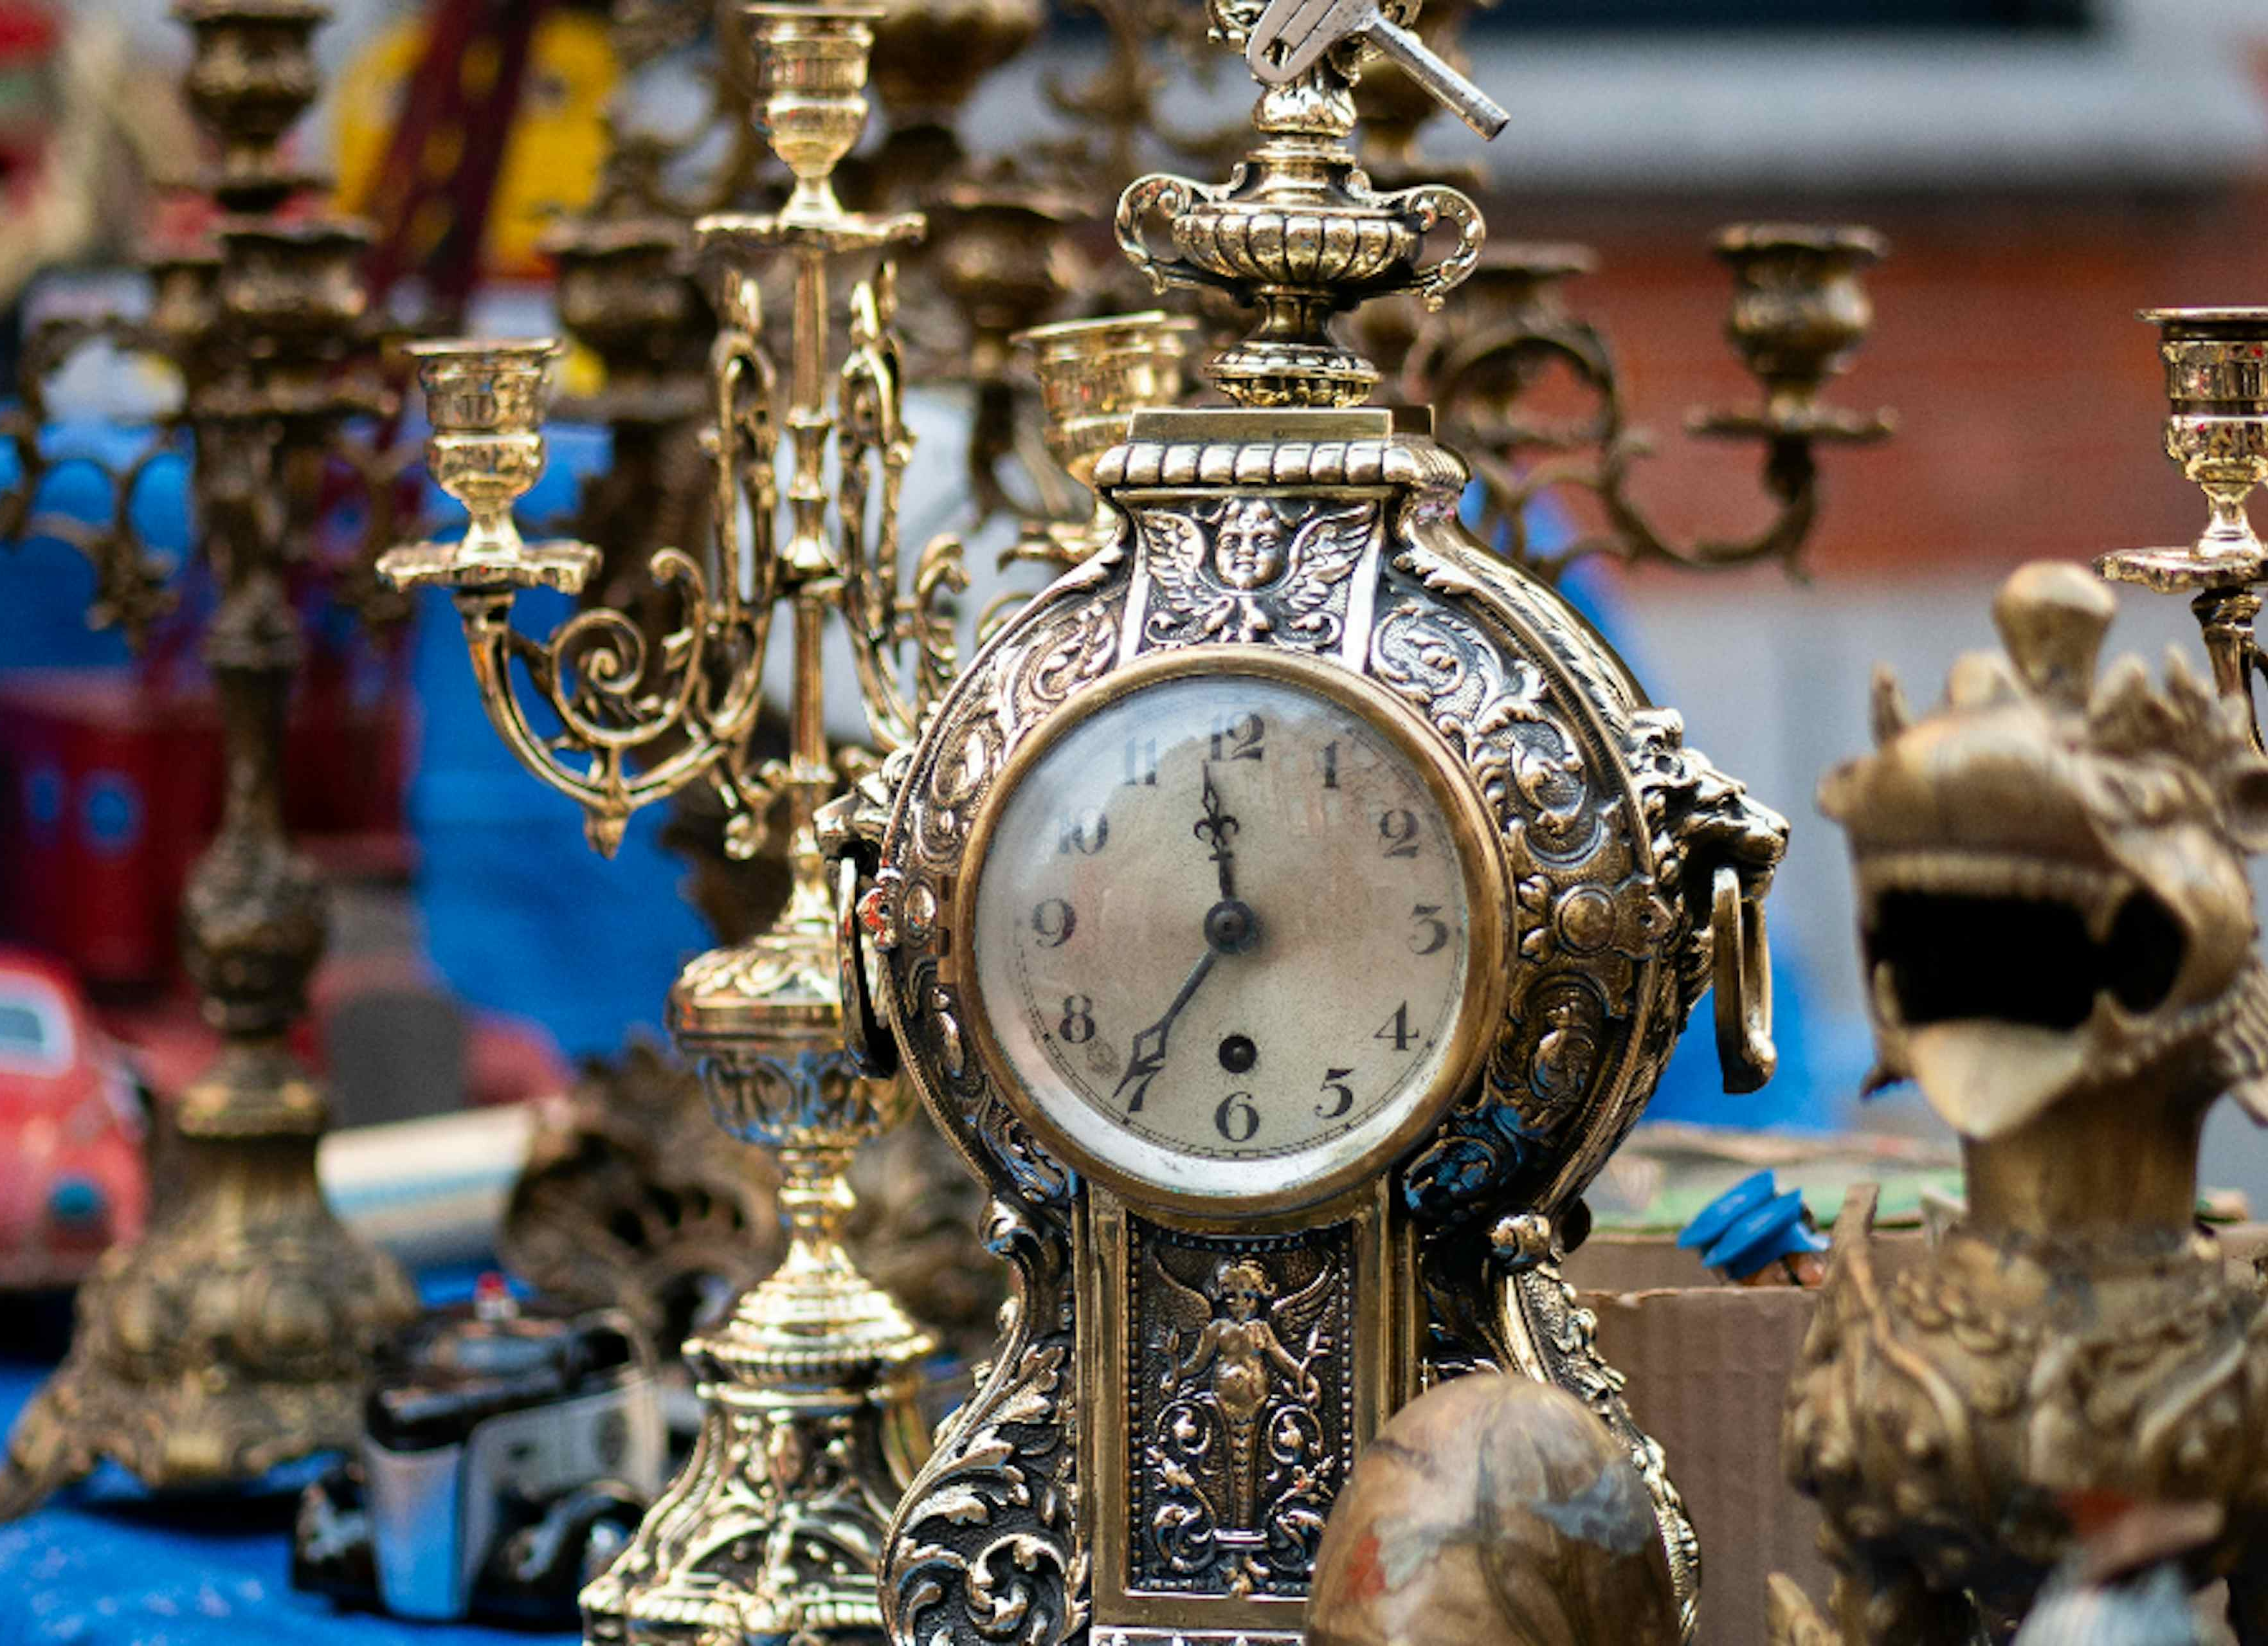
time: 11:35
